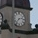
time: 2:36
